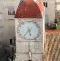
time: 5:36
